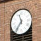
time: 11:36
